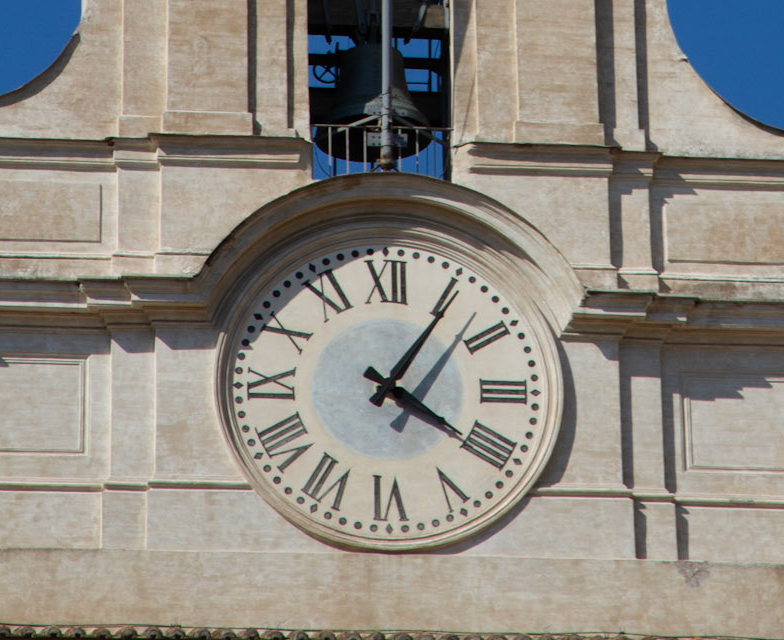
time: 4:05
